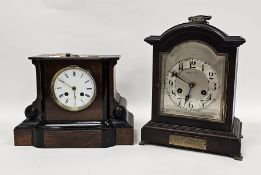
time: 6:48
